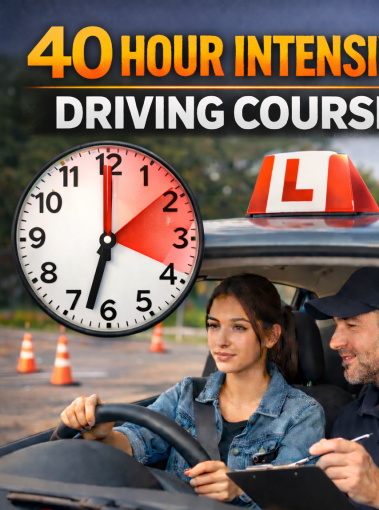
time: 6:32
